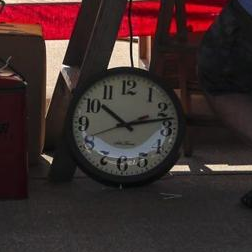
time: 10:12
